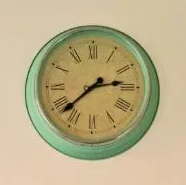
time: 2:38
